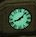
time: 8:07
